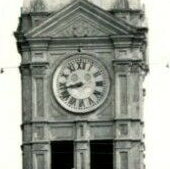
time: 8:42
